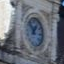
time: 12:52
